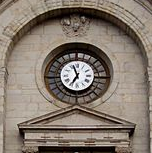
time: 6:56
